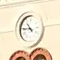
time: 10:45
